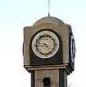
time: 4:44
